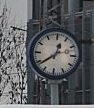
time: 12:38
